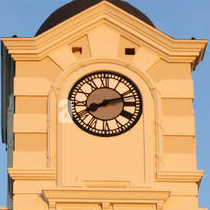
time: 8:12
